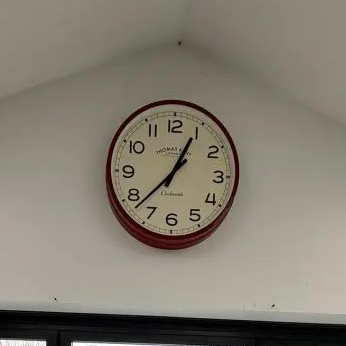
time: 12:37
